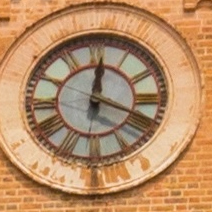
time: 12:18
